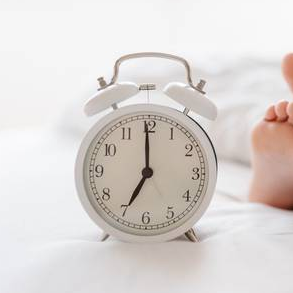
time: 6:59
